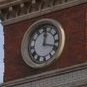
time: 12:18
